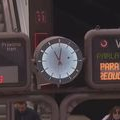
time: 11:01
